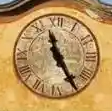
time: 11:25
